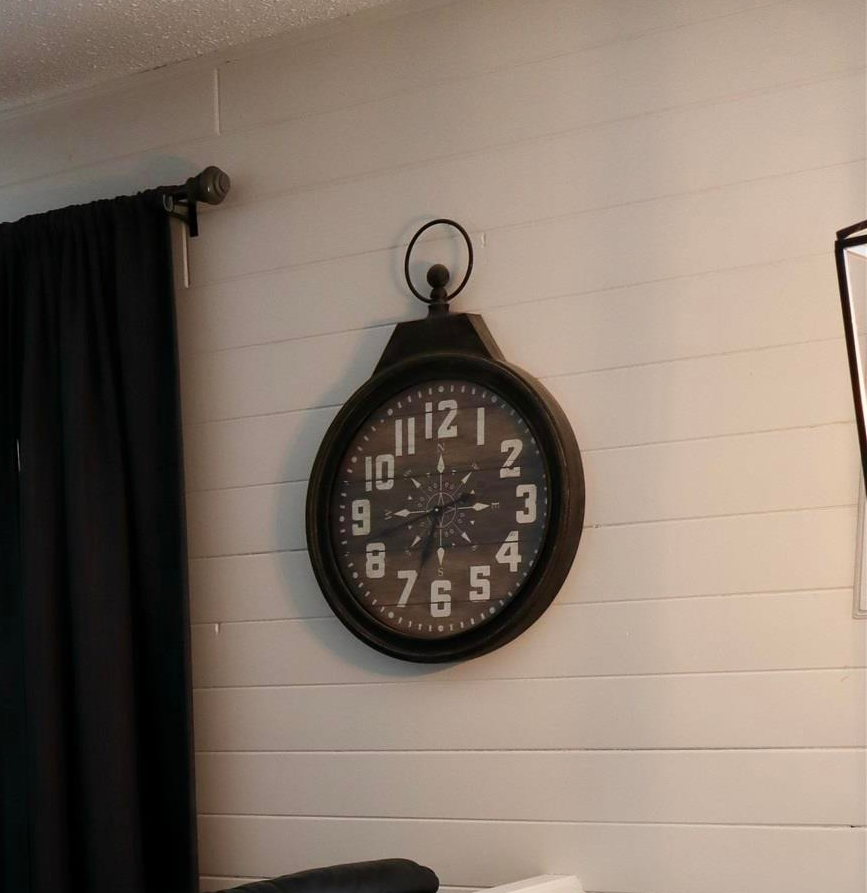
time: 6:43
